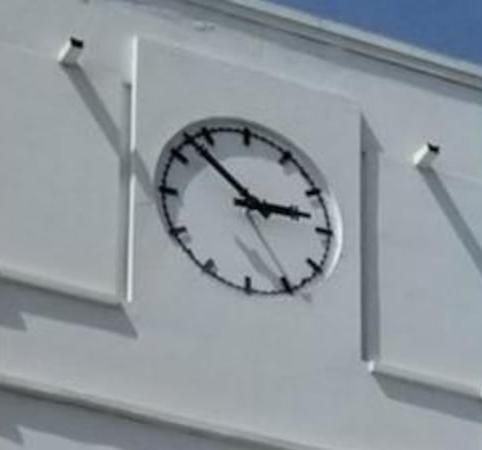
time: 2:52
